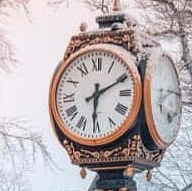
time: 6:10
